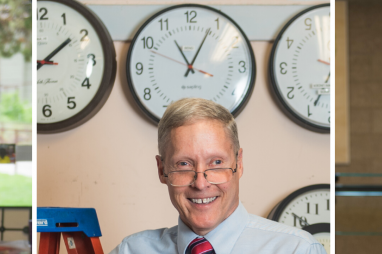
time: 11:04
